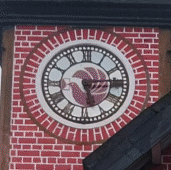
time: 5:14
